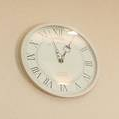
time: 12:57
